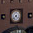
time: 4:38
